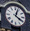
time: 4:03
